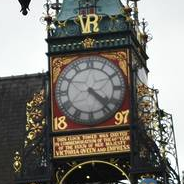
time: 4:23
